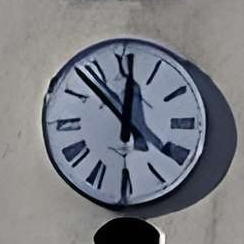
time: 11:52
